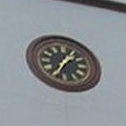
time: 1:35
